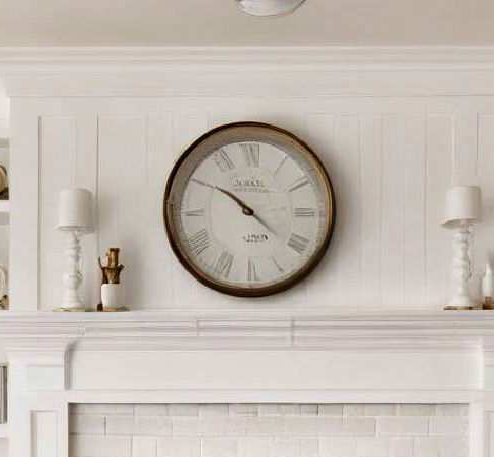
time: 10:21
